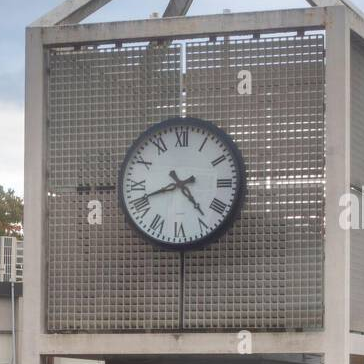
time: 4:41
